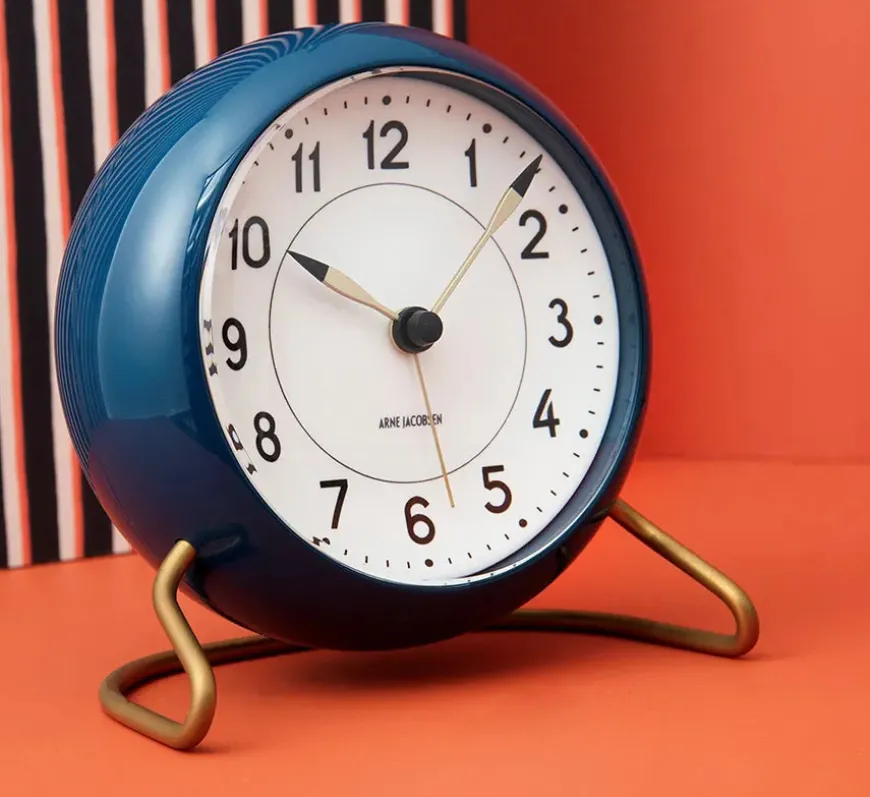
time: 10:07
